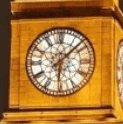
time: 6:07
